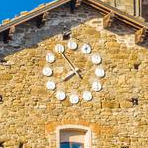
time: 7:53
